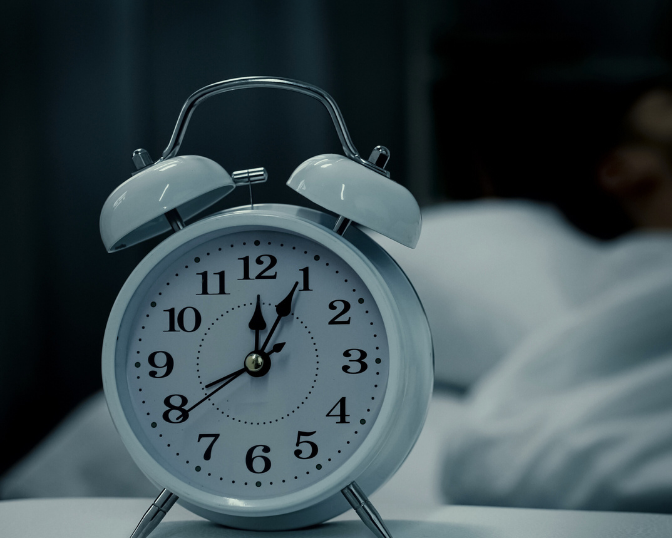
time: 12:04
